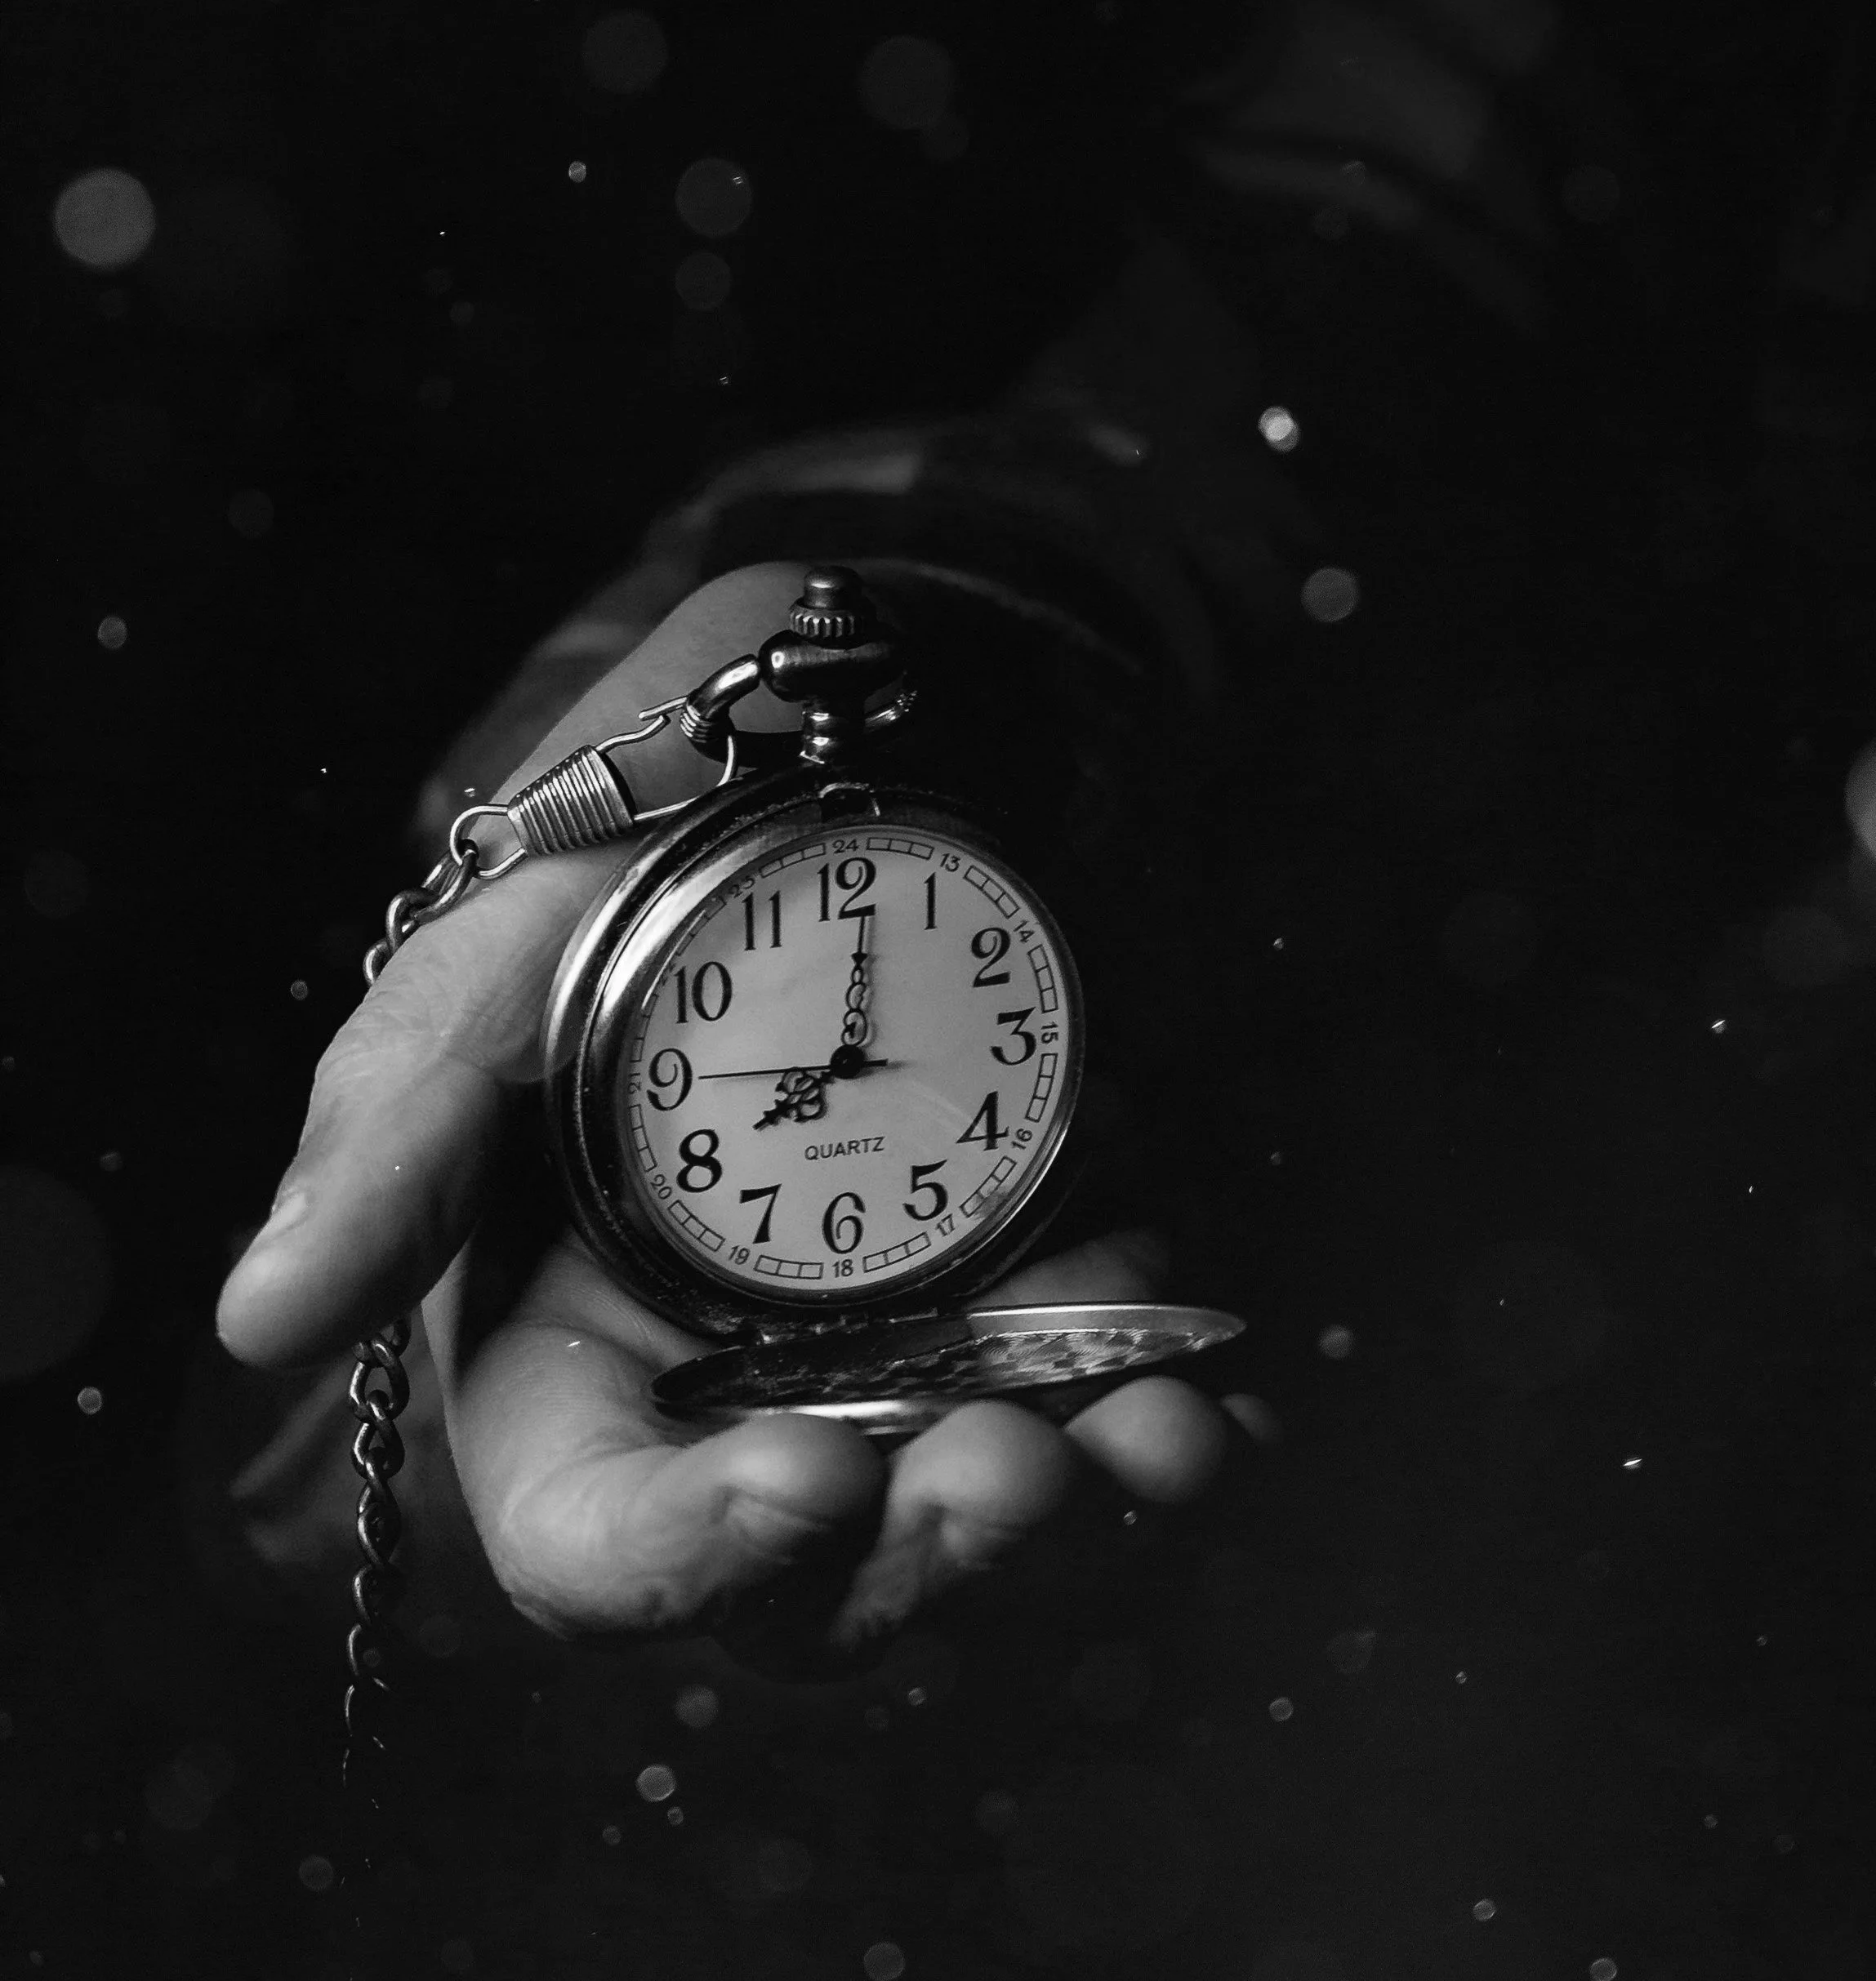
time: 8:01
